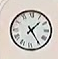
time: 1:24
